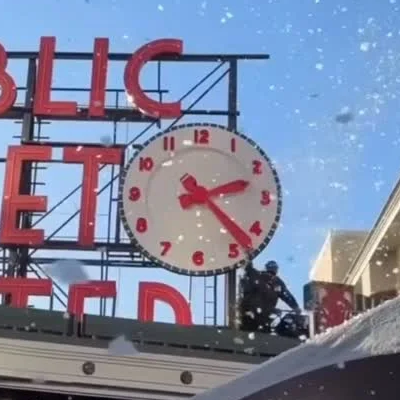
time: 2:22
